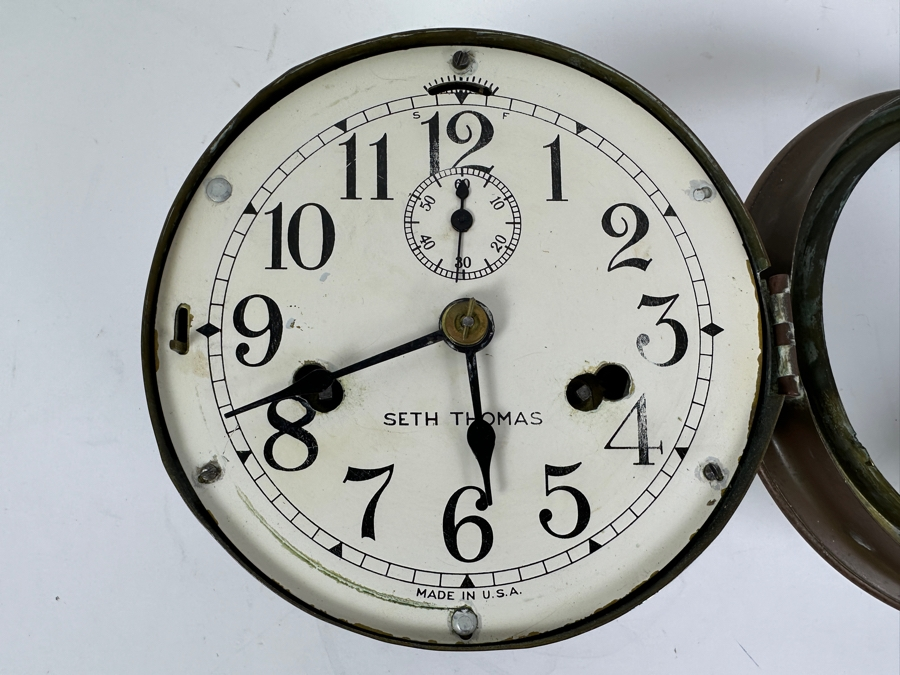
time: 5:41
